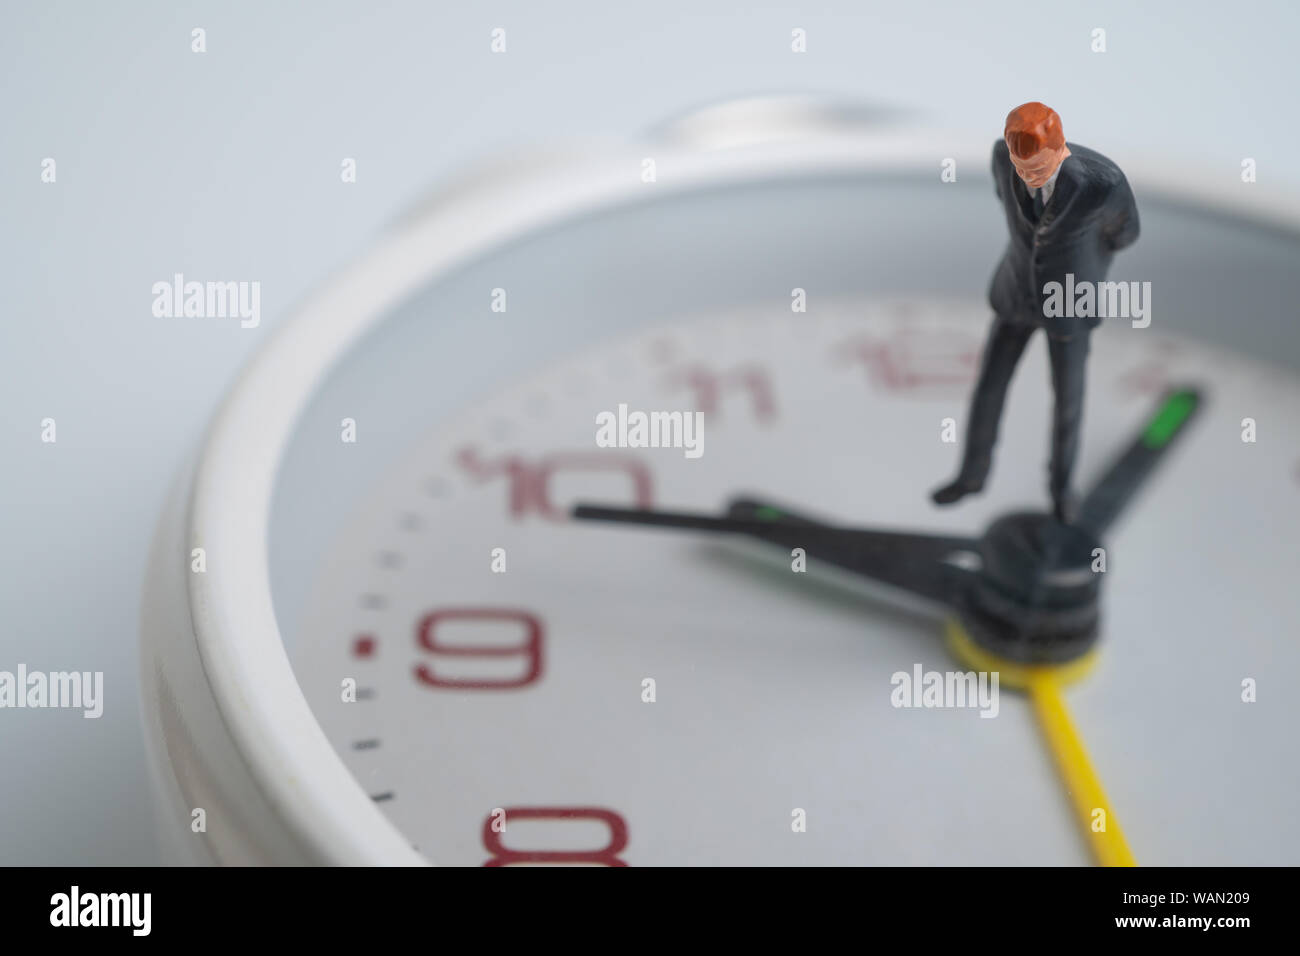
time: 12:49
